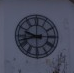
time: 9:42
